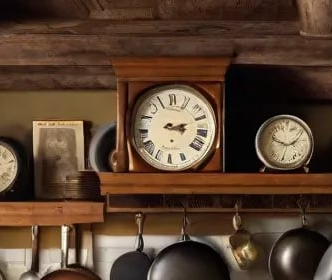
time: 3:12
